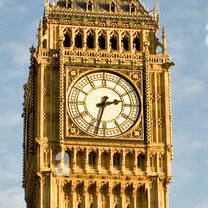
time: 2:32
